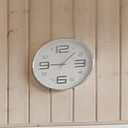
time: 9:07
